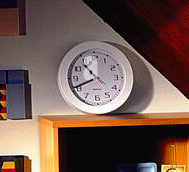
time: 10:41
